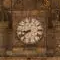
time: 8:39
